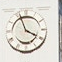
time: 3:56
